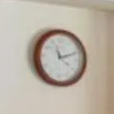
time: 11:11
